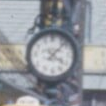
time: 4:07
